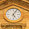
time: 5:05
